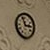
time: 2:56
